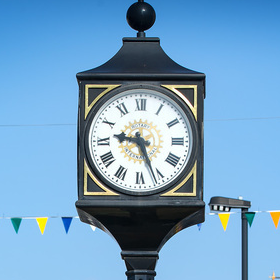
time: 9:26
